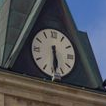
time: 5:29
